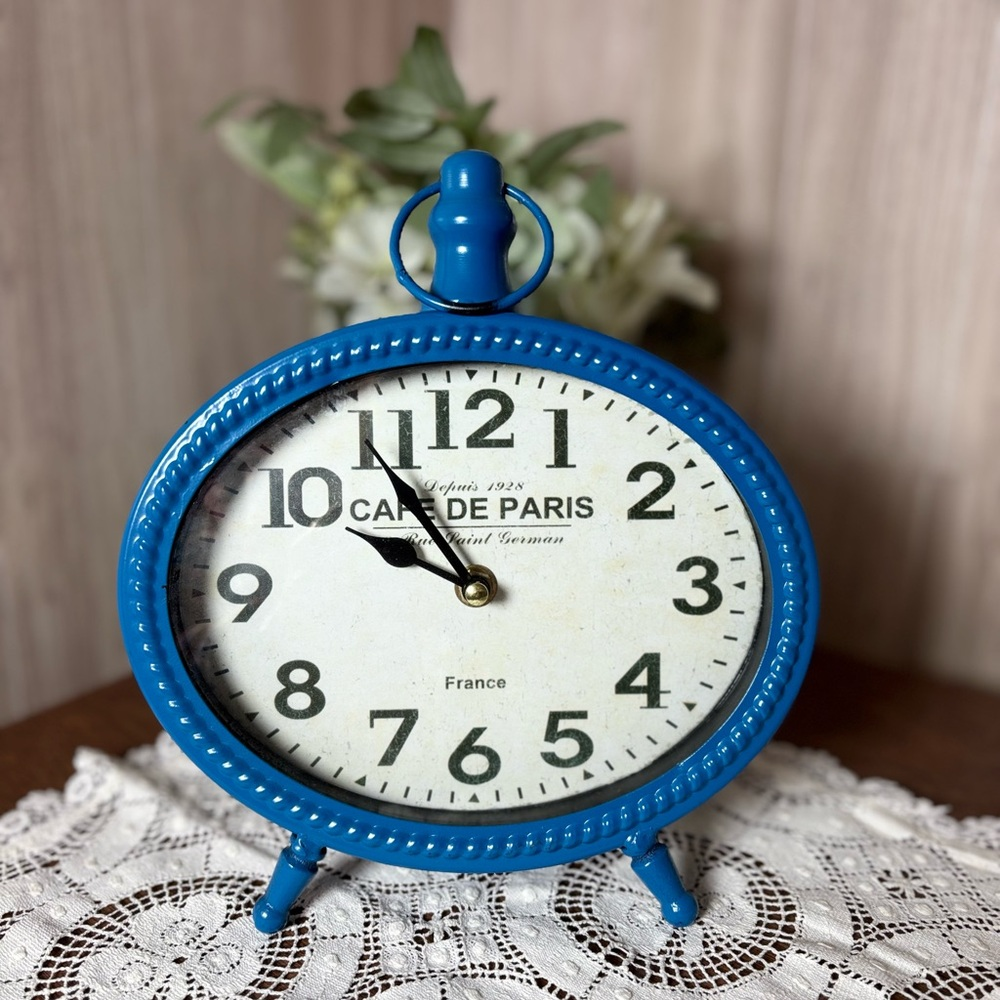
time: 9:54
